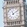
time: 11:09
